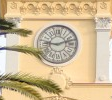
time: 9:11
